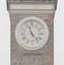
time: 11:23
